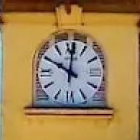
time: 10:00
